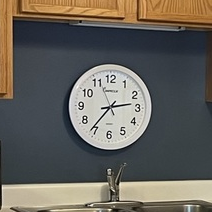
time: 2:36
